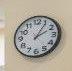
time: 2:05
